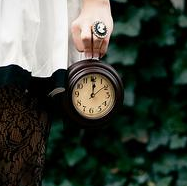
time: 12:08
